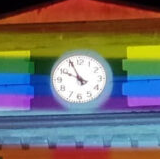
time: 9:55
